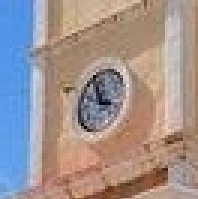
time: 2:58
